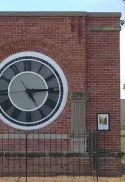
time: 5:14
